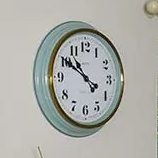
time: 10:50
